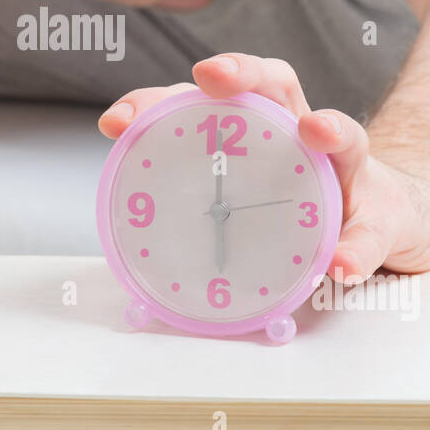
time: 6:00
